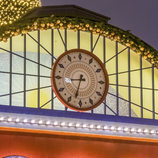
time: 8:33
